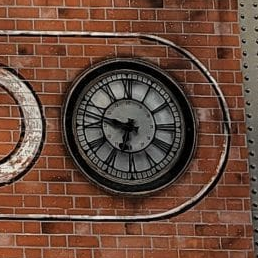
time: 6:47
